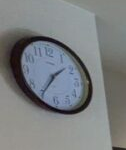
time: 1:35
